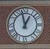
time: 12:58
